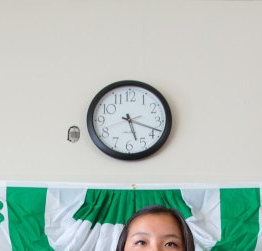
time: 5:18
